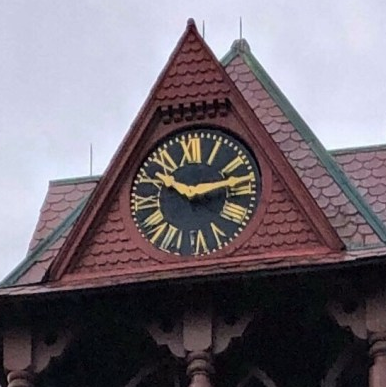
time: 10:12
